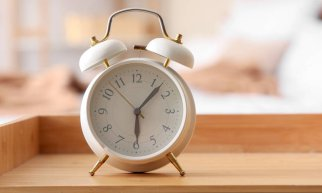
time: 6:06
